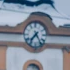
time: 7:24
